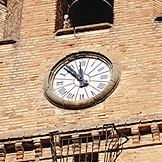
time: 11:53
